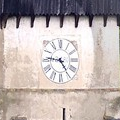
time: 4:46
